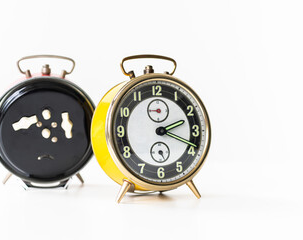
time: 2:18
